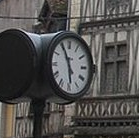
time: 5:55
